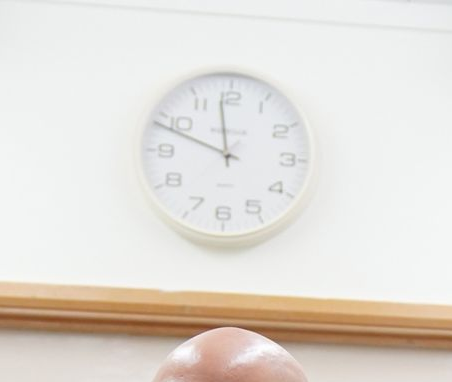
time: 11:48
